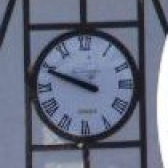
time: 9:48
